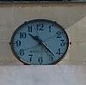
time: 10:23
